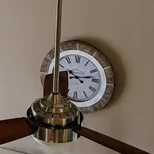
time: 10:13
